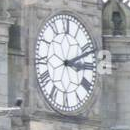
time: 3:11
